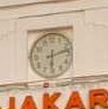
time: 6:12
